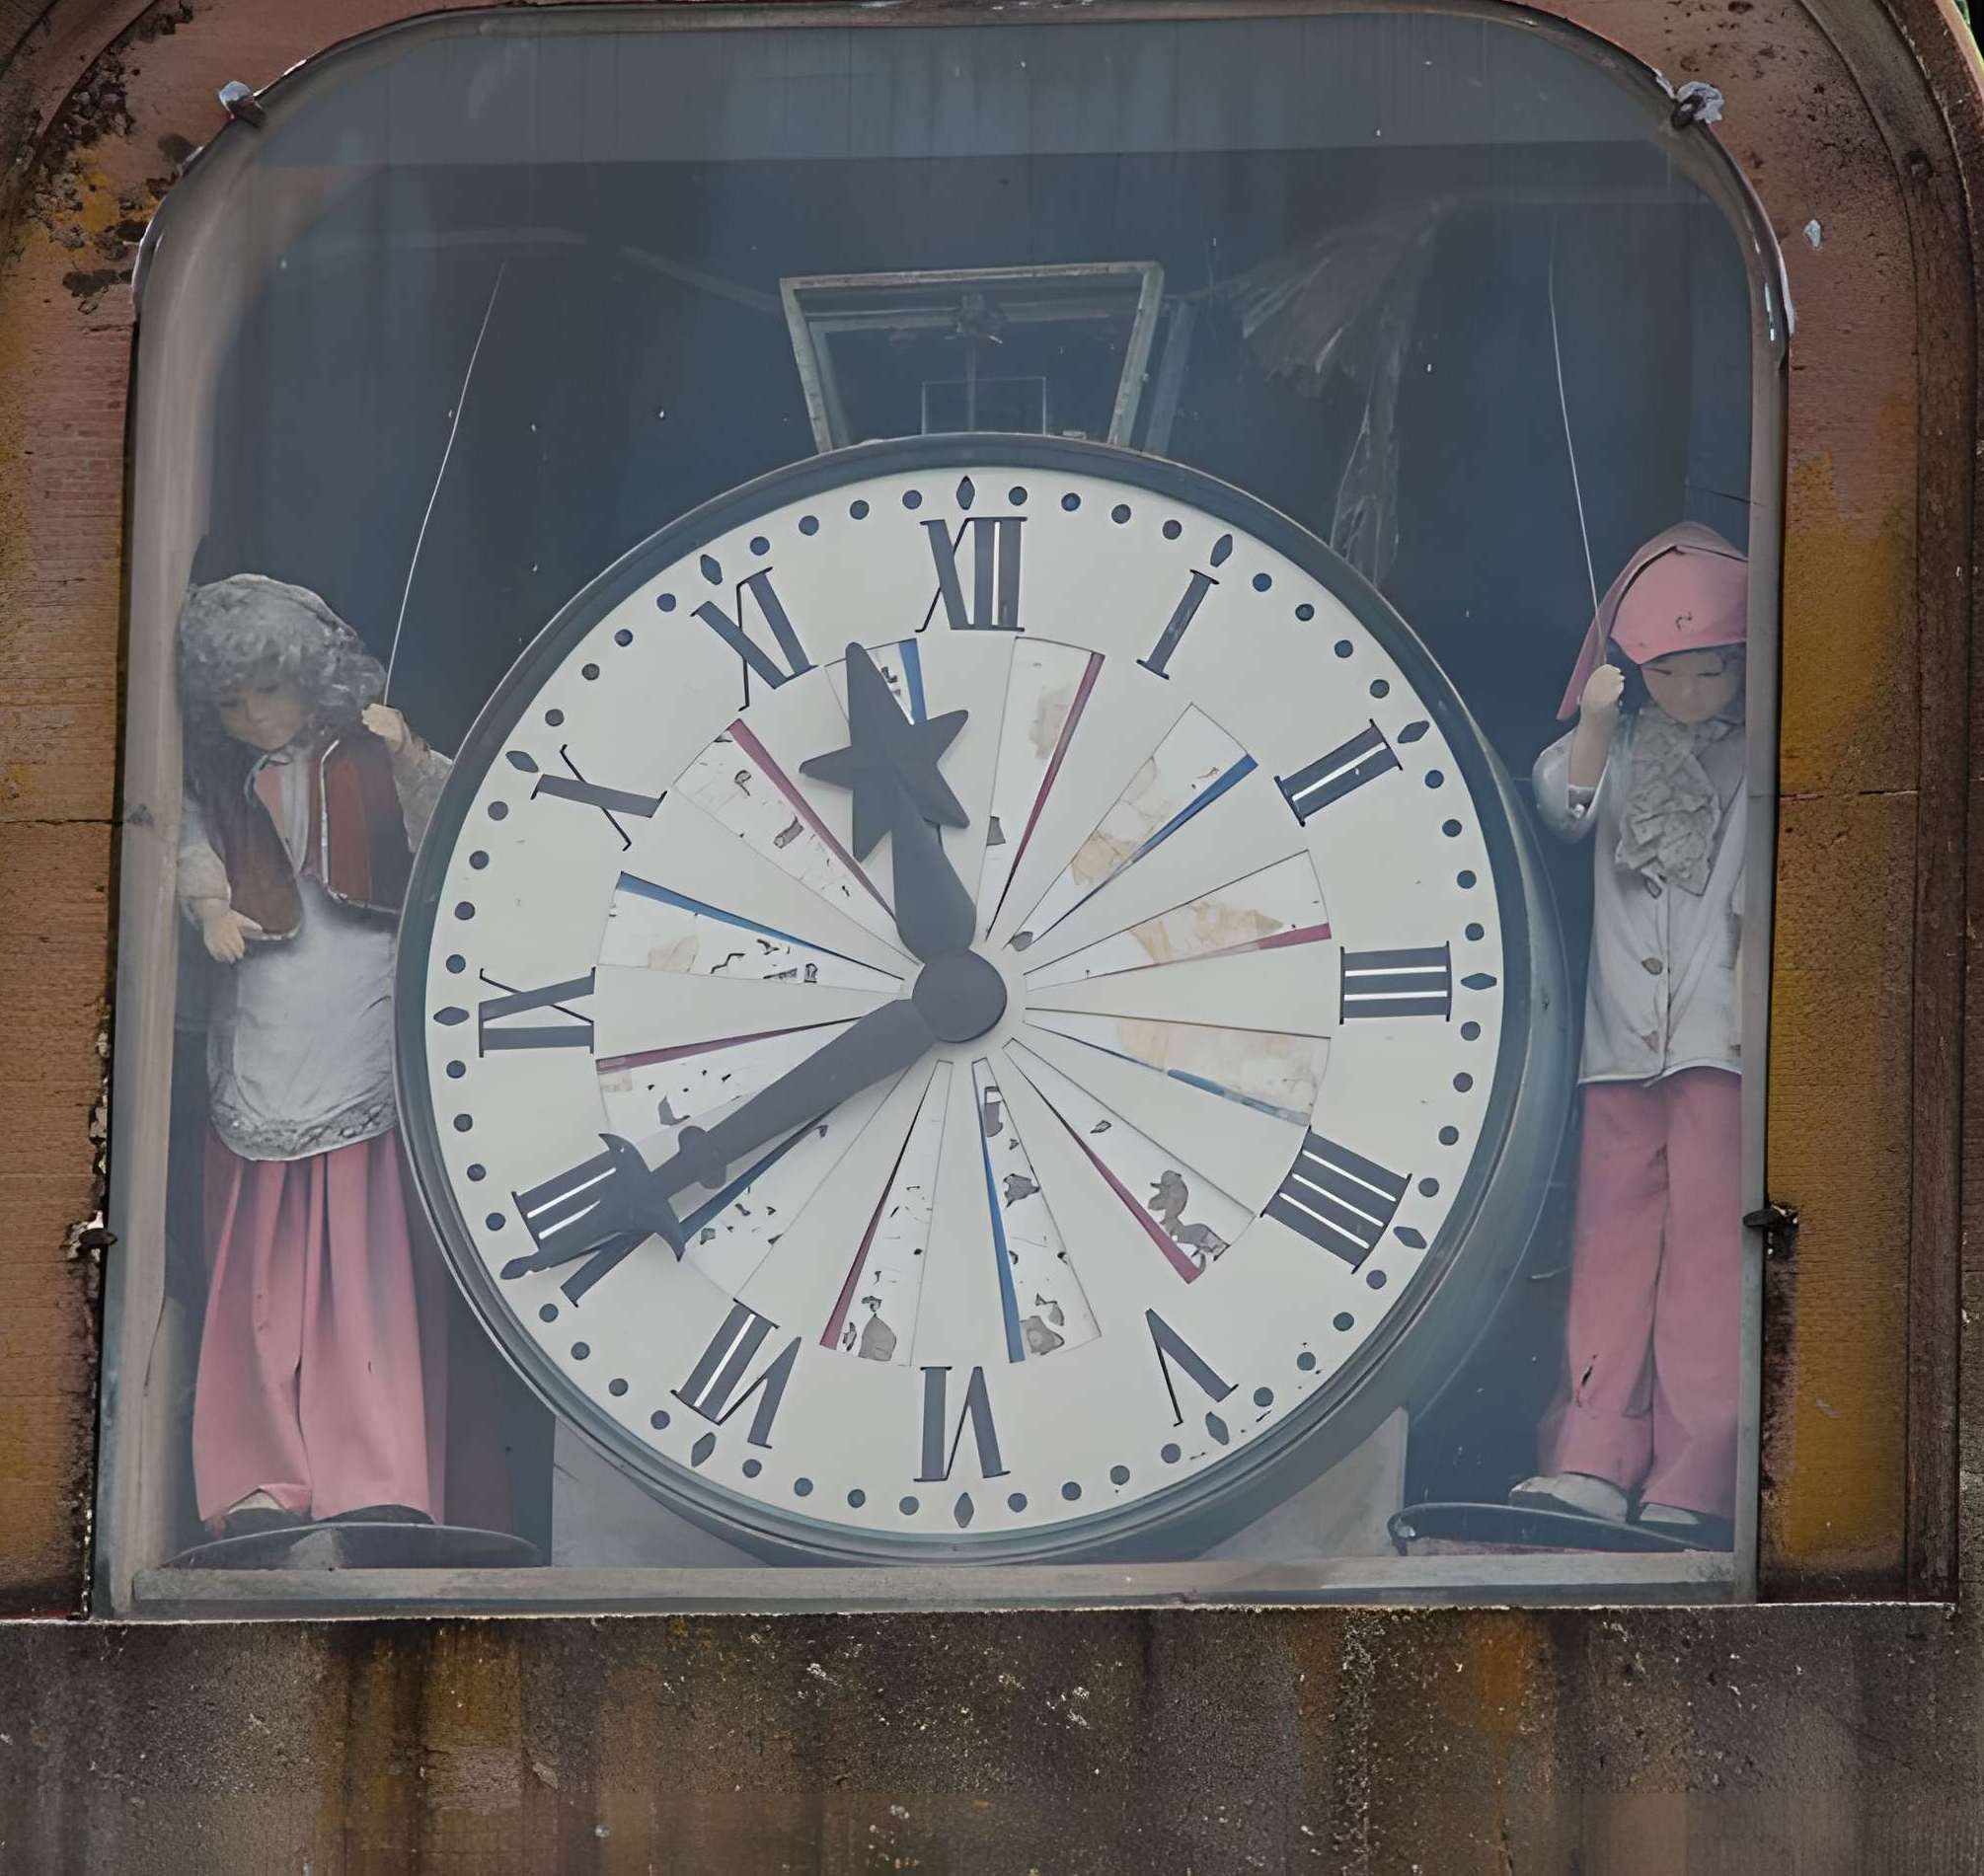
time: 11:39
